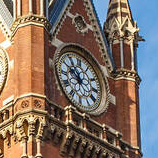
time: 10:50
